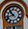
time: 10:42
